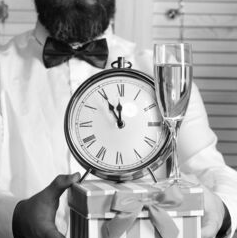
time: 11:55
